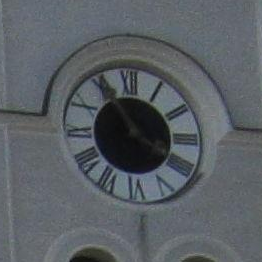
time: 3:55
